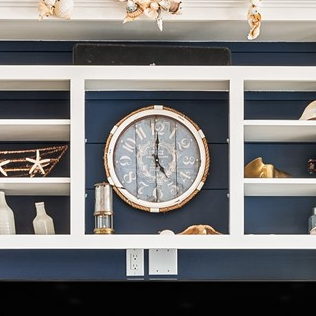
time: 5:00
